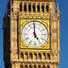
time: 4:59
